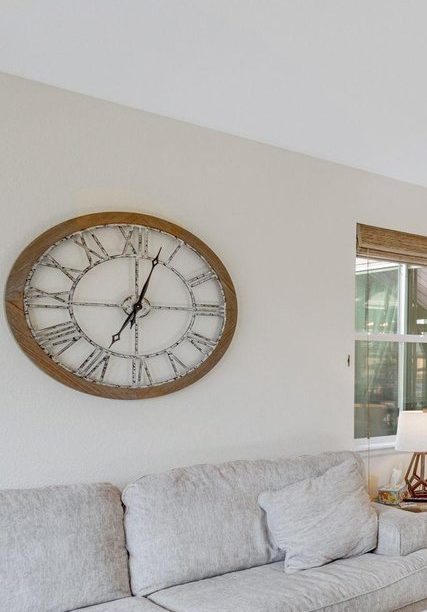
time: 7:03
